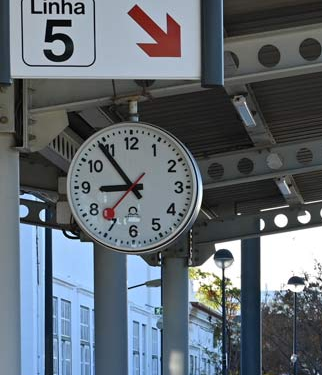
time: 8:54
